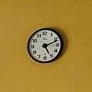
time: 5:11
